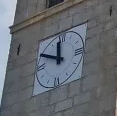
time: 11:49
